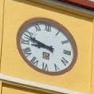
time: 8:47
